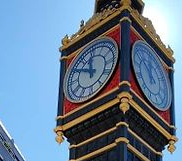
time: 11:50
